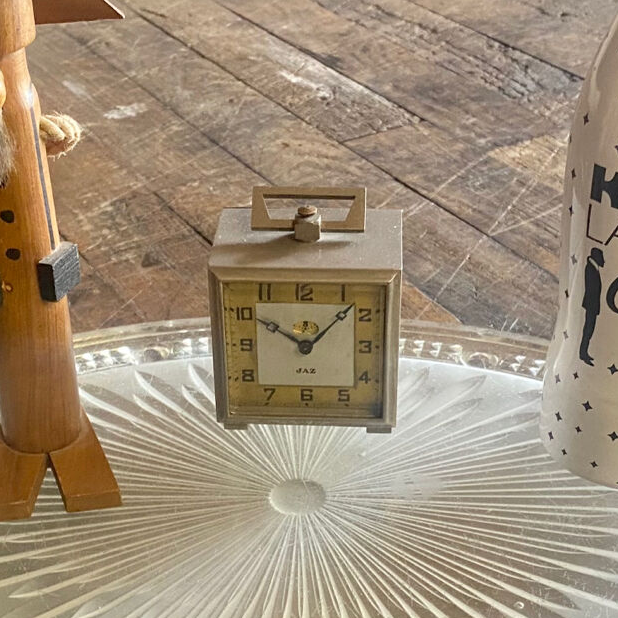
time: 10:07
